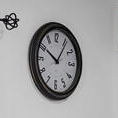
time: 10:06
